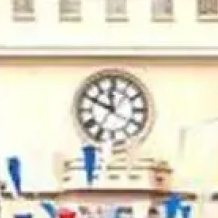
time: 11:49
